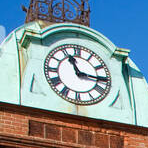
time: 11:15
